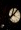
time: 8:07
